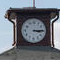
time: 3:14
